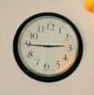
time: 2:45
